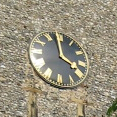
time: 3:58
